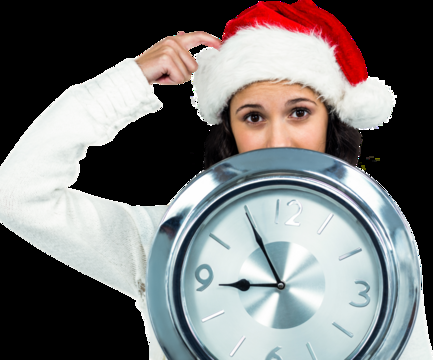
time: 8:54
